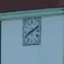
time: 8:11
